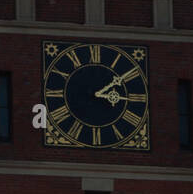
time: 3:09
